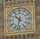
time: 10:32
